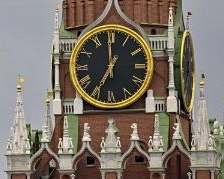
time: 6:59
